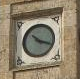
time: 10:18
